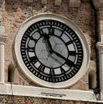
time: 11:19
